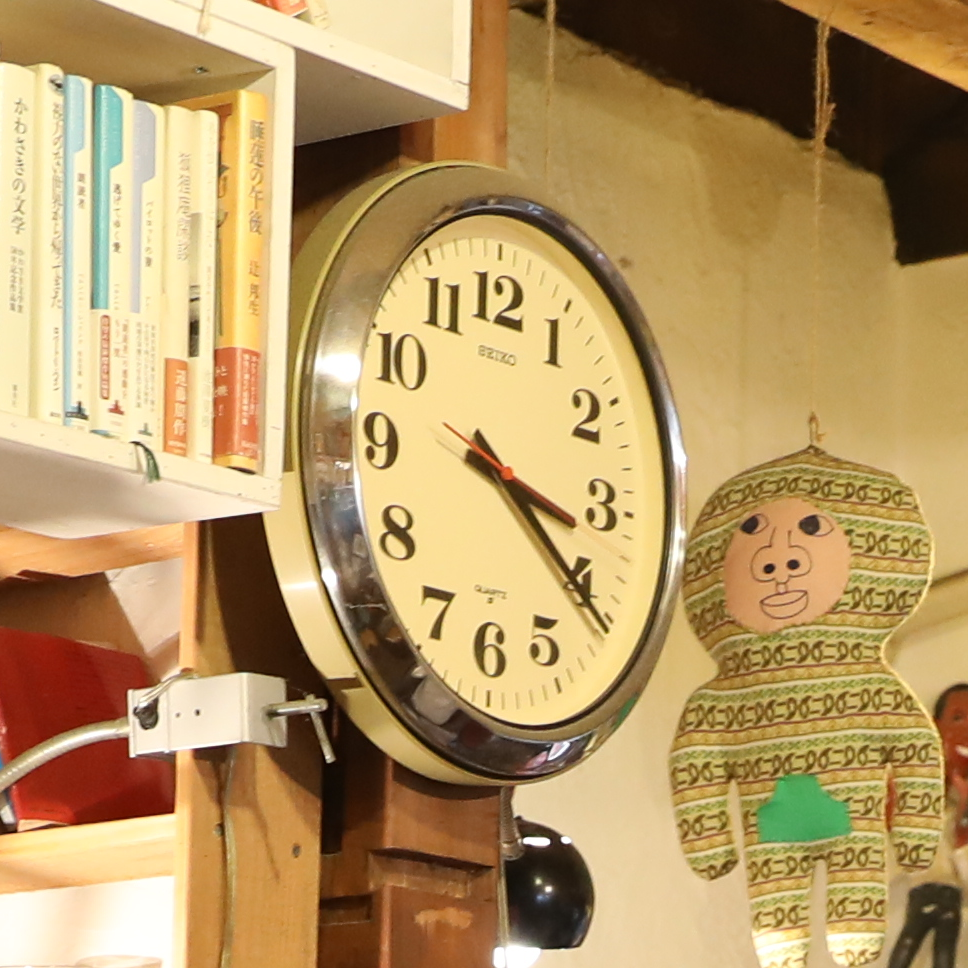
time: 3:20
